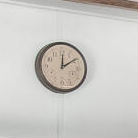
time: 12:09
